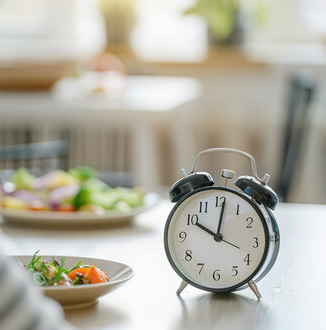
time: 10:01
